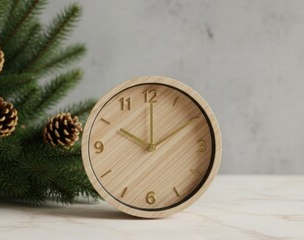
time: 10:00
